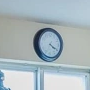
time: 4:20
